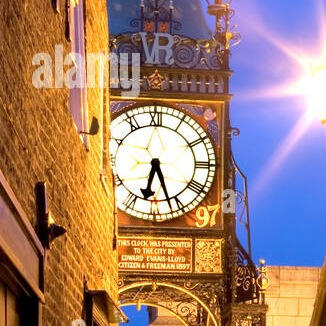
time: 6:26
